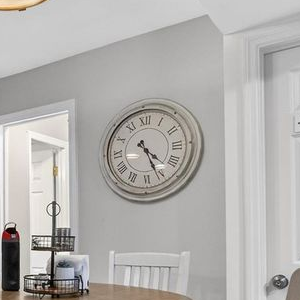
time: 4:26
